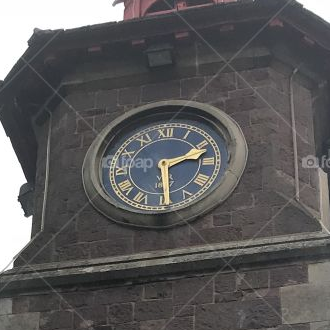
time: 2:29
